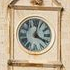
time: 4:02
